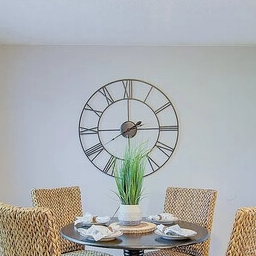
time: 2:00
